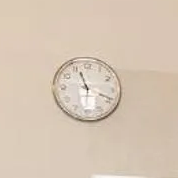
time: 11:18
